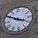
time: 3:50
